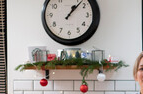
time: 1:07
